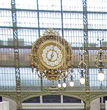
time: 7:02
